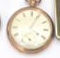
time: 4:04
